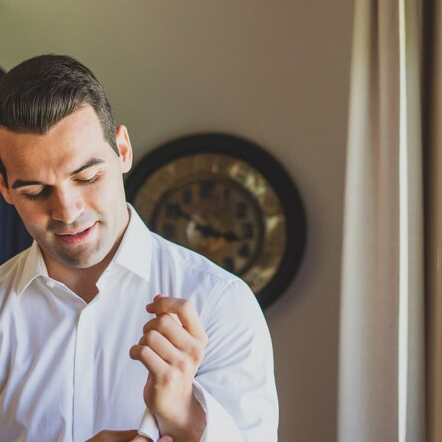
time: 3:50
